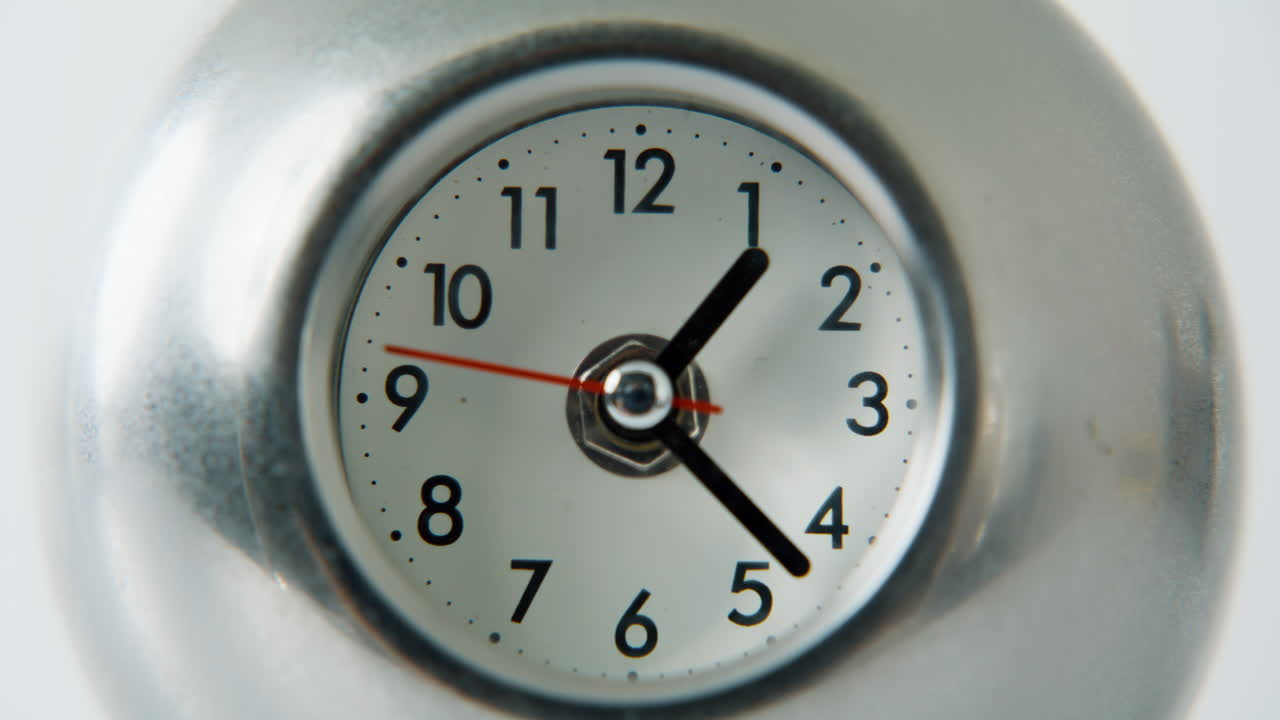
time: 1:22
